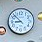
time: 8:52
